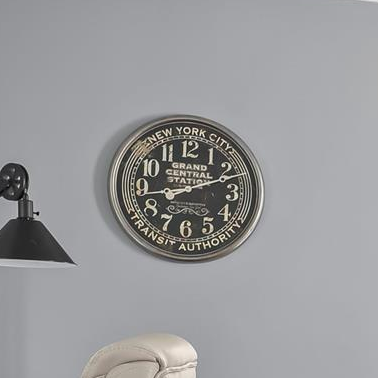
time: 8:11
